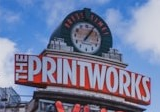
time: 1:06
